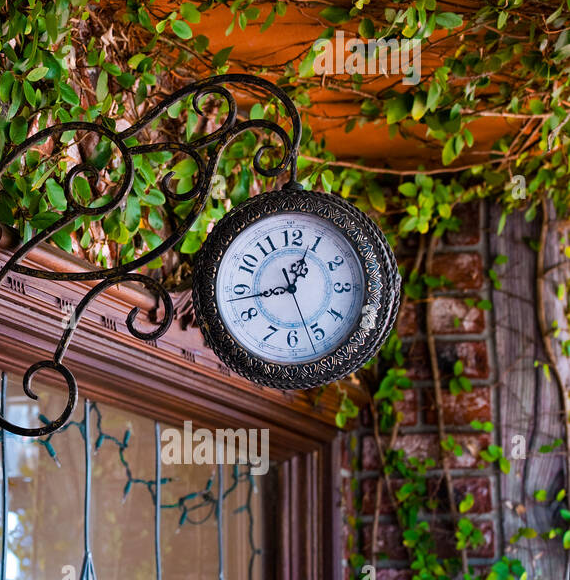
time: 12:43
